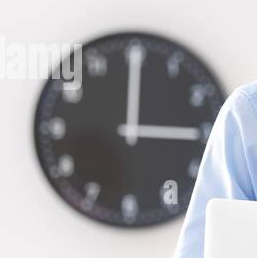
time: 3:00
